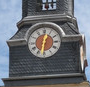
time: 12:31
